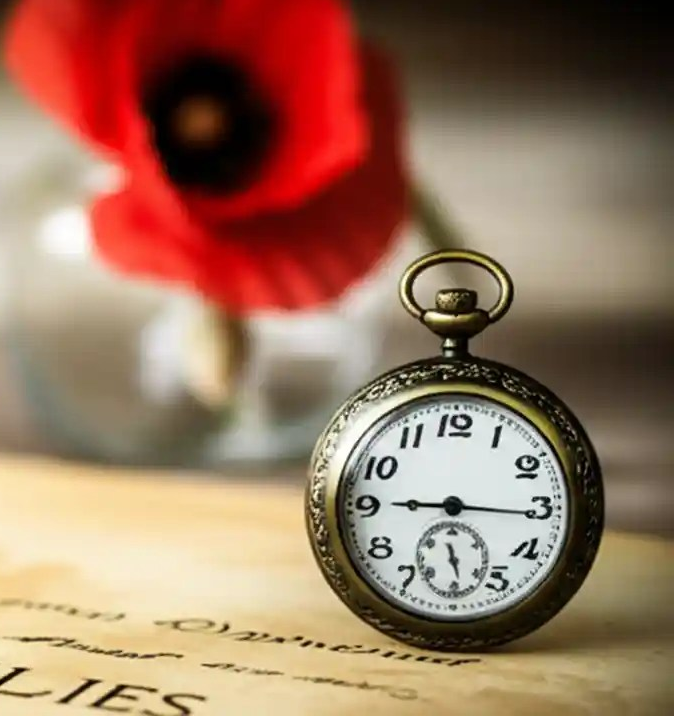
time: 9:15
